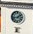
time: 1:43
